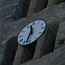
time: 11:32
